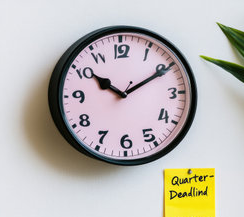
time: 10:10
